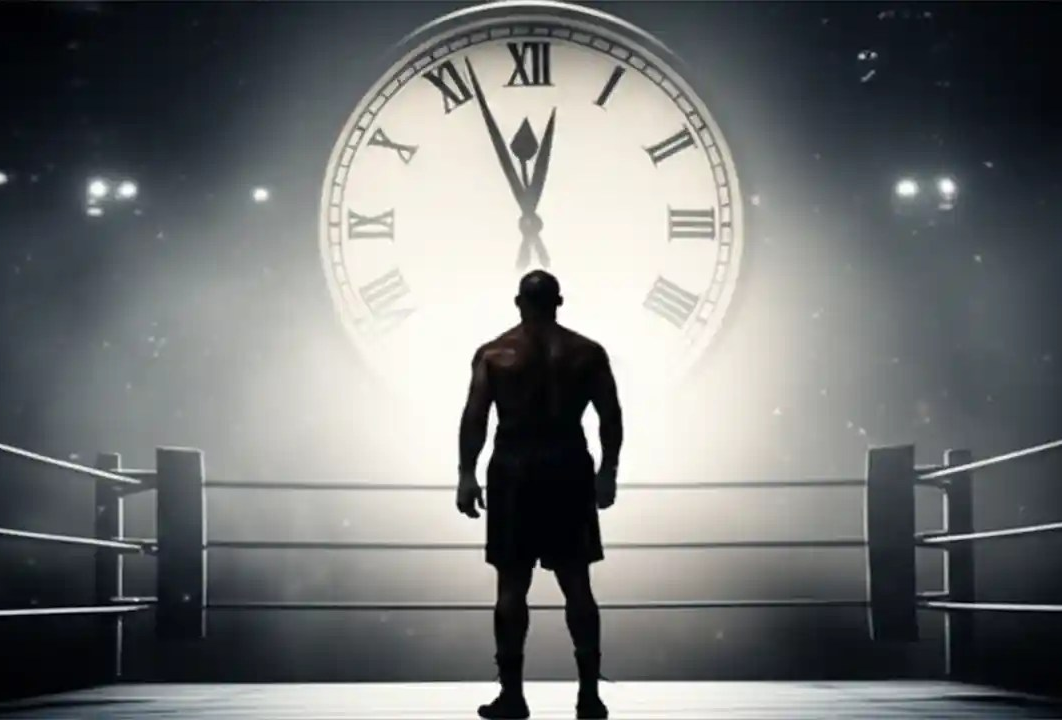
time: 11:56
